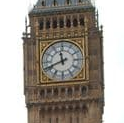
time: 11:41
